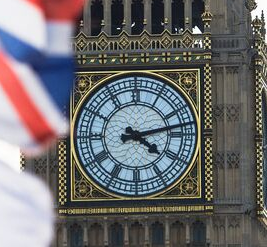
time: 4:12
